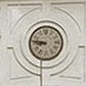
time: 8:46
